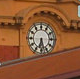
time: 6:27
